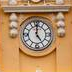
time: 4:59
